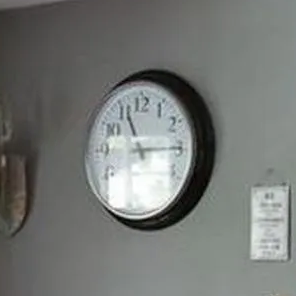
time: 11:14
